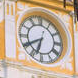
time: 6:40
